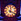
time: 12:19
